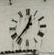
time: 12:36
